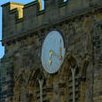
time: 6:20
